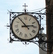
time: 2:53
